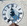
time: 11:35
